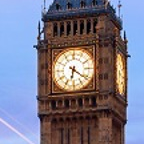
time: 6:21
